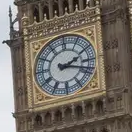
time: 2:18
